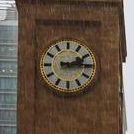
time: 2:14
